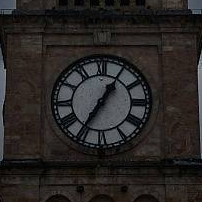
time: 1:35
